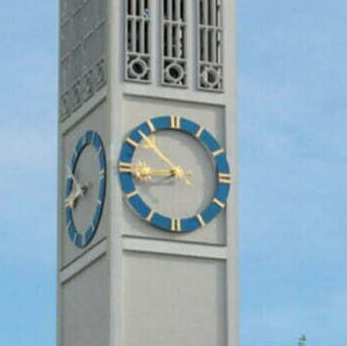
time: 8:52
